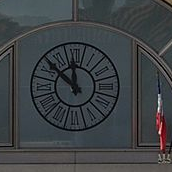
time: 11:52
